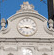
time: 3:43
